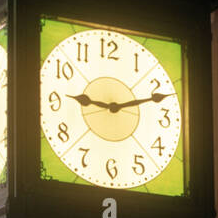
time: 9:12
